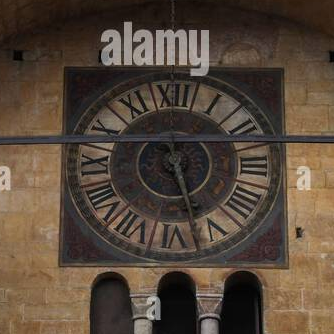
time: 5:26
